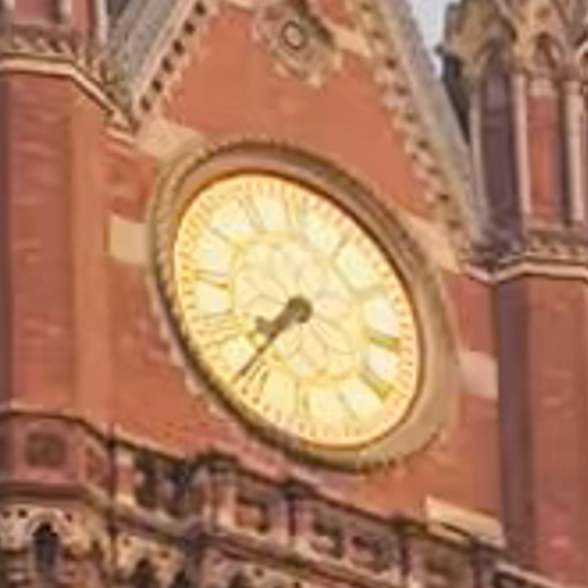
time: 7:36
